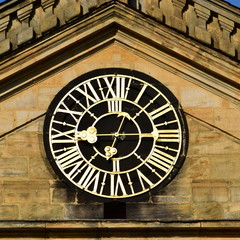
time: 6:13
